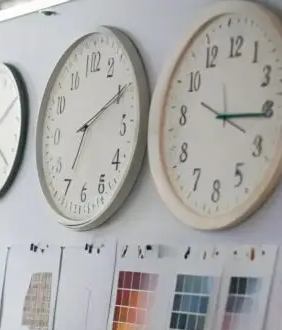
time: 3:15
